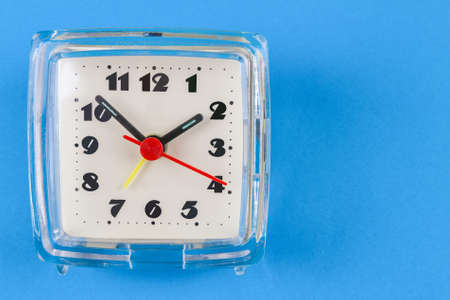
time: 1:51
